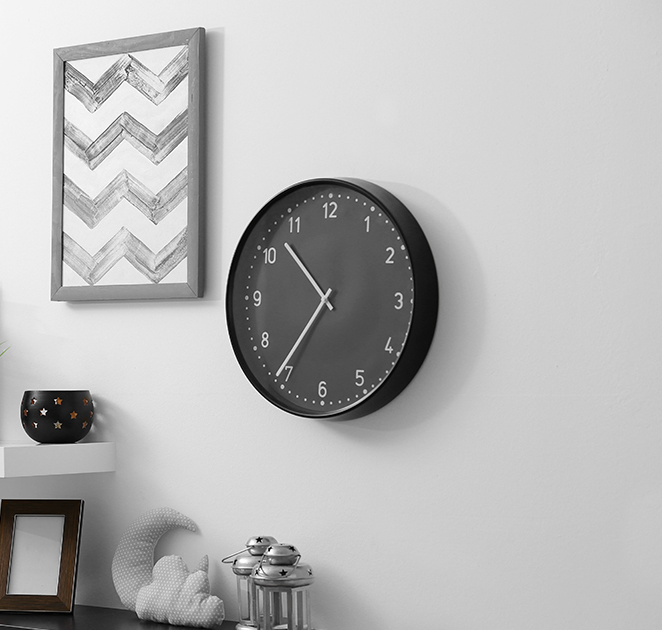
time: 10:35
